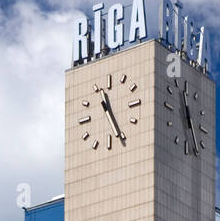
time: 11:25
